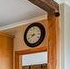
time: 8:38
